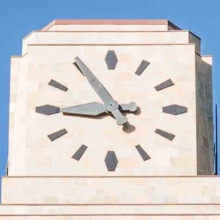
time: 8:54
